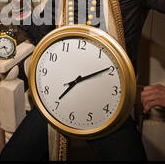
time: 7:09
